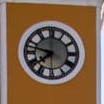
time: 7:47
